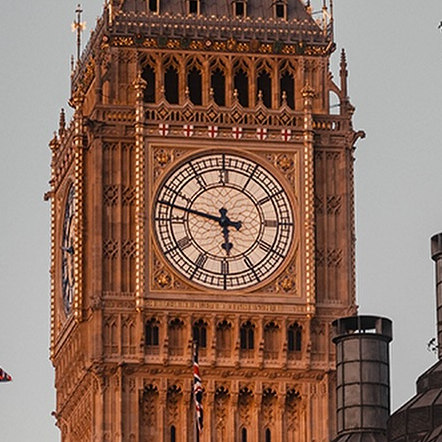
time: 5:47
